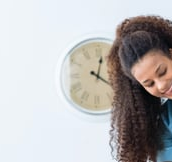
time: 12:19
